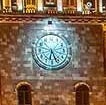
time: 6:26
